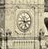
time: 5:14
